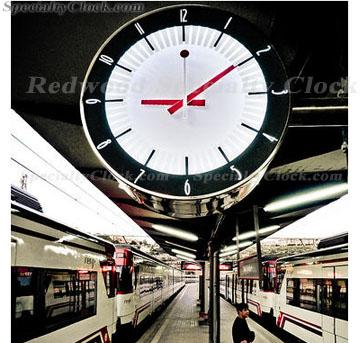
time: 9:09
